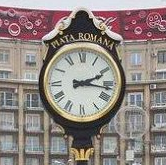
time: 2:16
